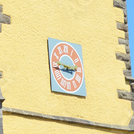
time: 2:46
